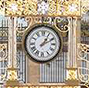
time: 1:10
